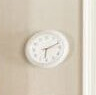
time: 6:11
